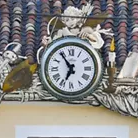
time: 6:54
